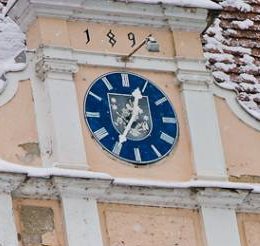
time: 12:35
